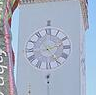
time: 2:24
